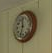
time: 11:32
